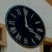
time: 3:58
